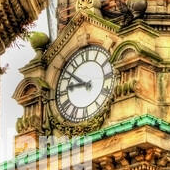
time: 8:51
